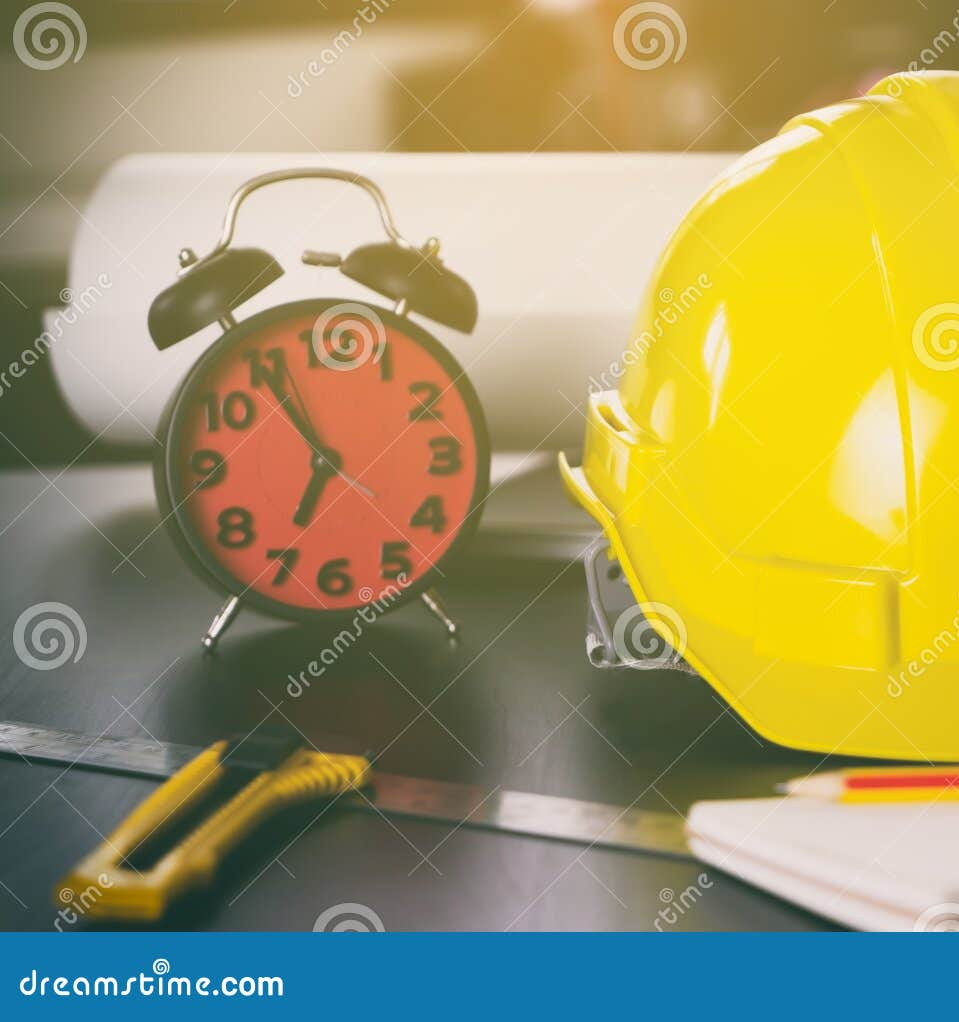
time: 6:54
